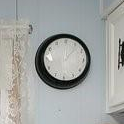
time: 12:07
